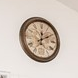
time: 12:10
